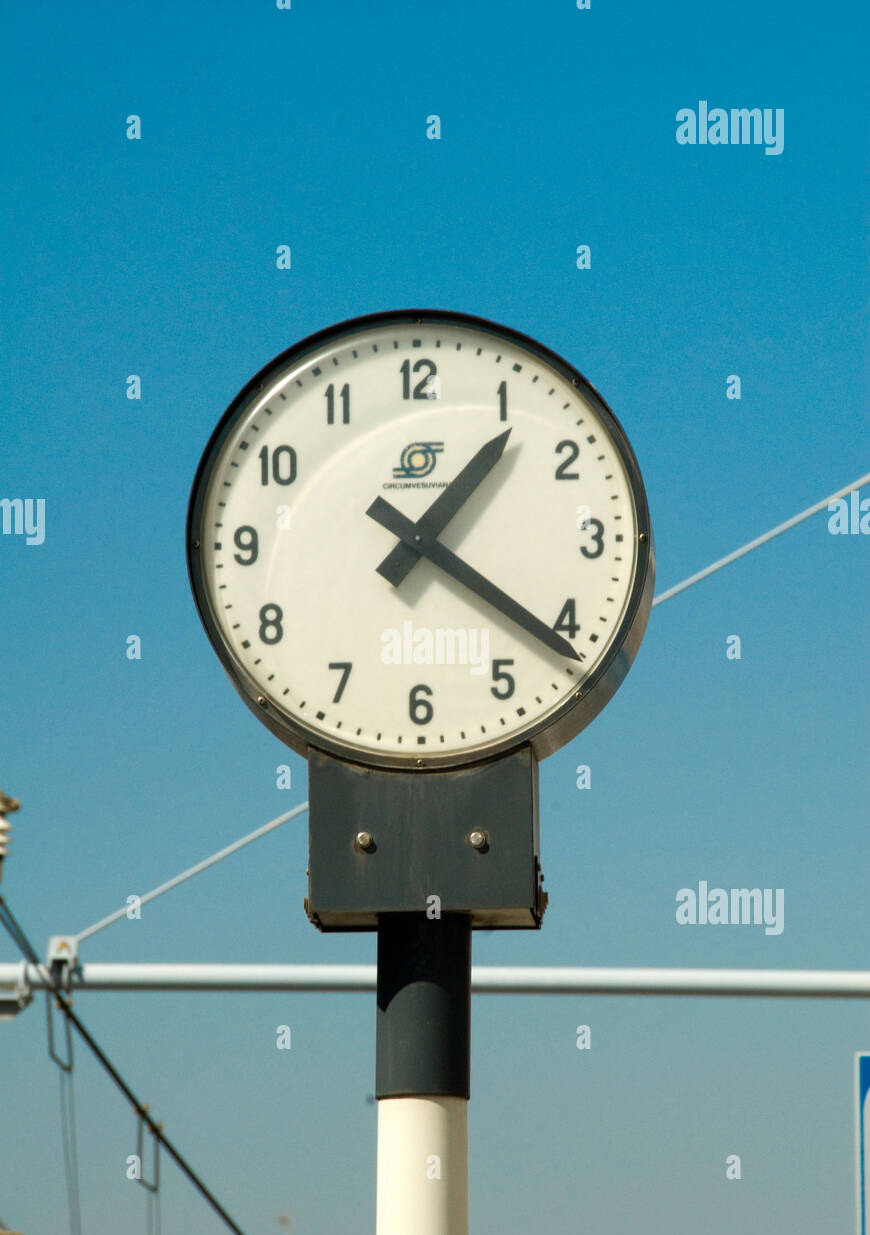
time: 1:21
